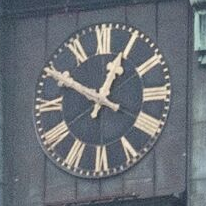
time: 12:50
